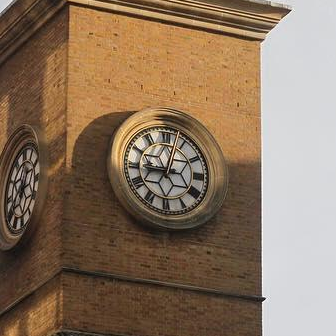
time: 9:02
